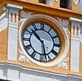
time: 10:27
